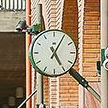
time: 5:05
